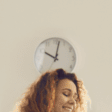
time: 10:01
